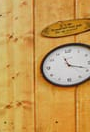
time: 11:18
